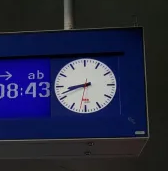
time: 8:41
